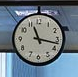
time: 11:17
